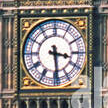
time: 3:28
